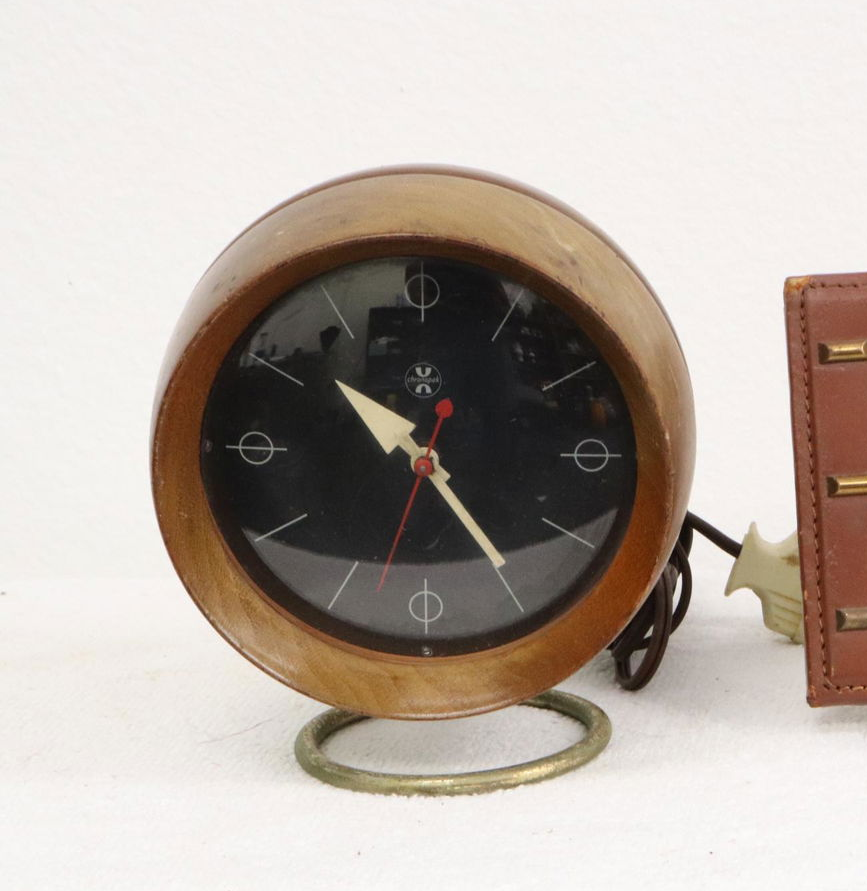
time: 10:24
